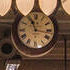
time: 11:16
